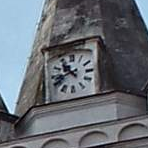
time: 10:41
